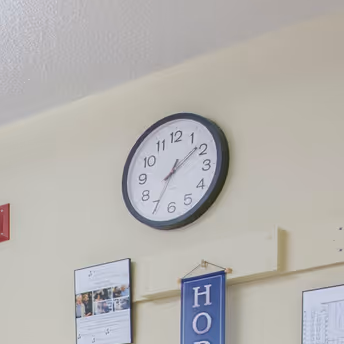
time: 12:08
